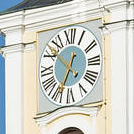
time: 12:34
